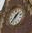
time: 1:36
